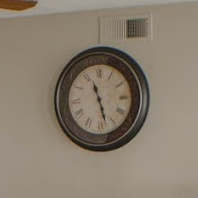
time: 11:28
